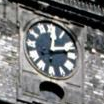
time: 12:12
